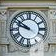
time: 9:51
